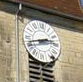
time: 2:42
